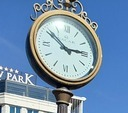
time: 2:51
